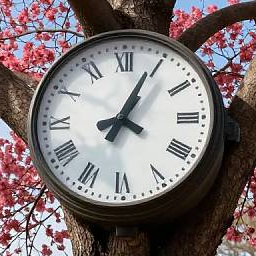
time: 7:04
